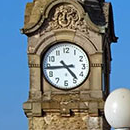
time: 4:44
